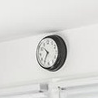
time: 10:35
